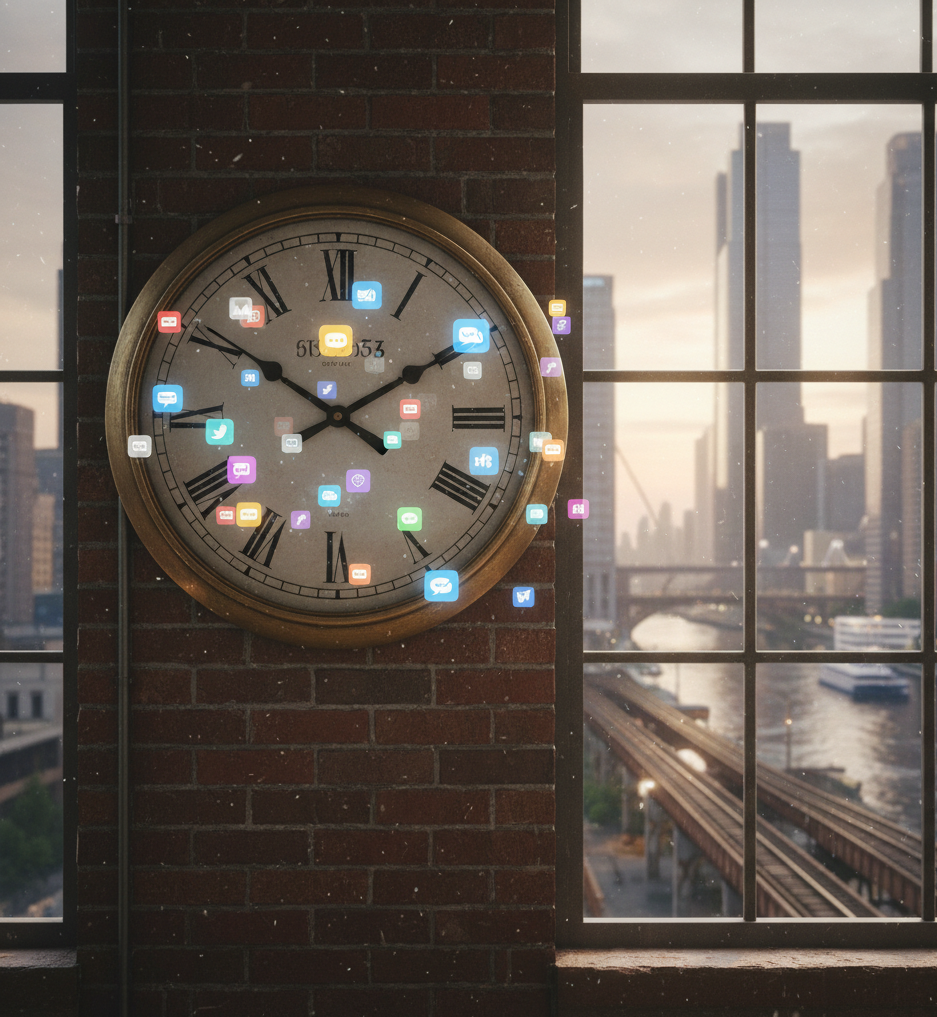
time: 1:50
